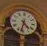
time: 4:32
